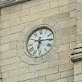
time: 6:15
